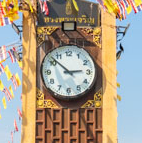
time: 2:52
